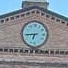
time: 6:44
